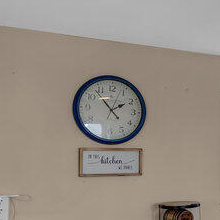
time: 1:53
